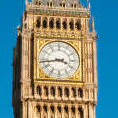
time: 3:43
